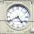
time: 4:40
